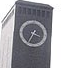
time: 3:34
